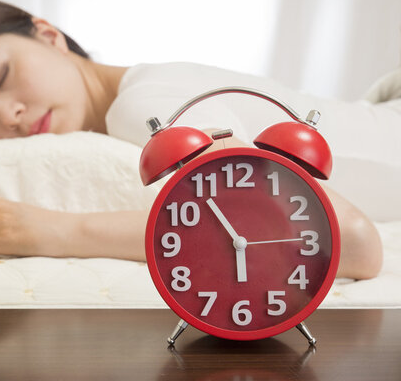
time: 5:54
